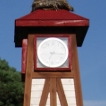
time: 7:16
